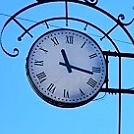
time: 11:16
